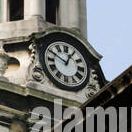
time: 12:49
